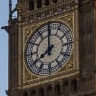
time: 7:59
